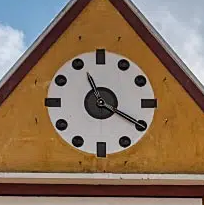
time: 11:19
